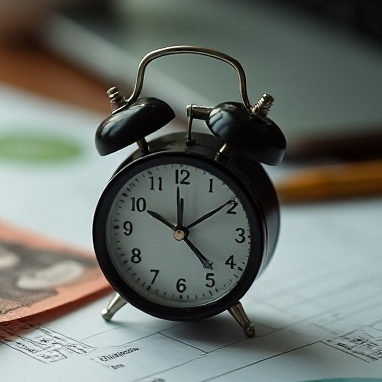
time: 4:50
